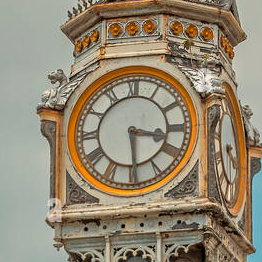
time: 3:29
